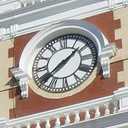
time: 1:38
